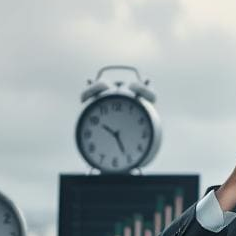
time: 10:25
